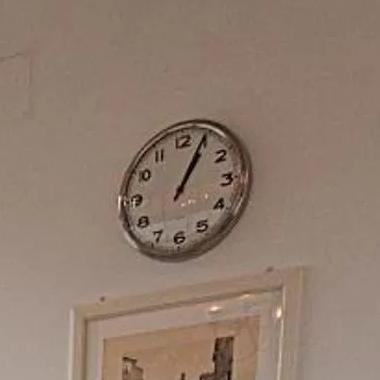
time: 1:04
